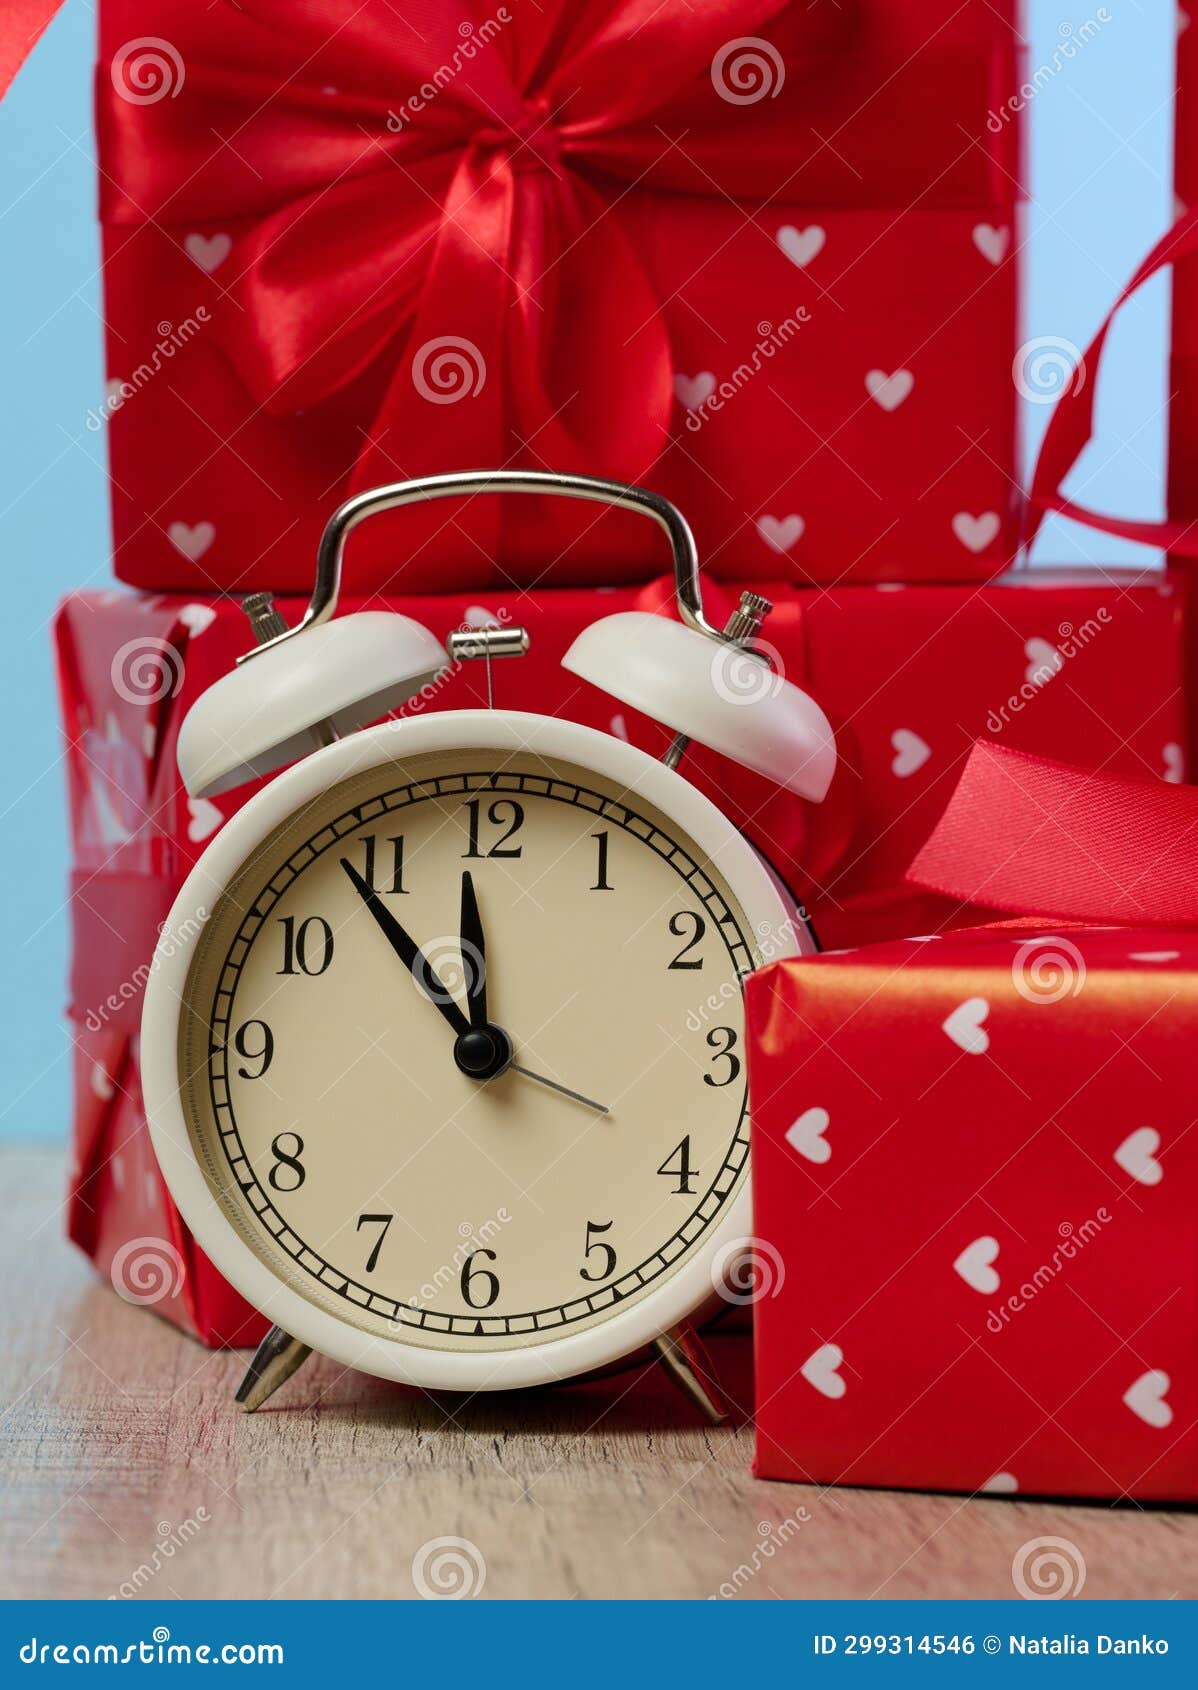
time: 11:53
